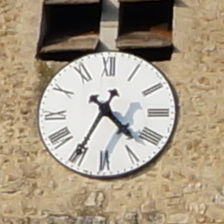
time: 4:34
